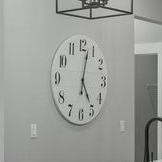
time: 5:02
